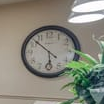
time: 5:52
